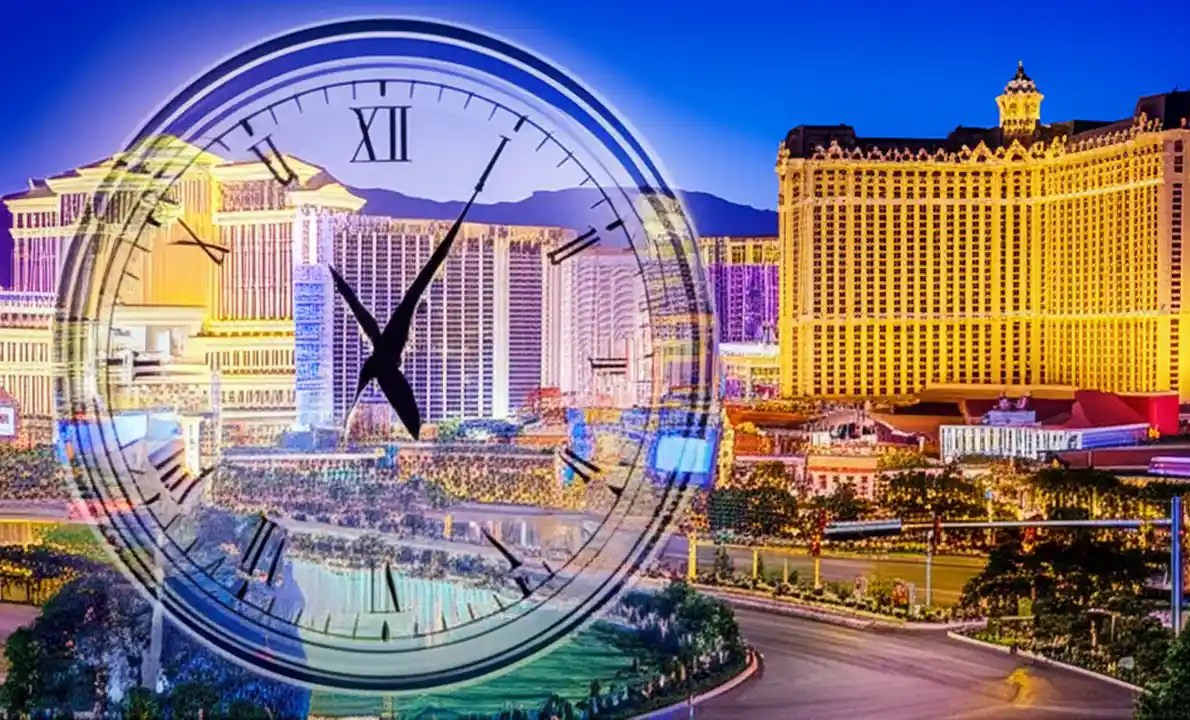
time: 5:05
